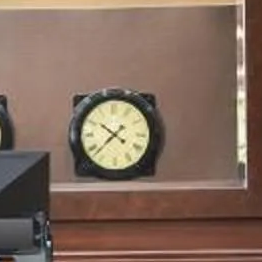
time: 7:37
